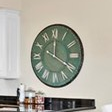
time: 4:00
